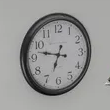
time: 6:46
